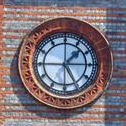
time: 1:25
